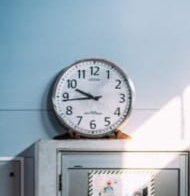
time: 9:43
